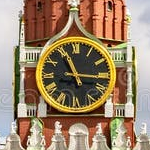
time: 11:15
